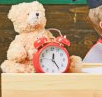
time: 12:24
